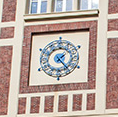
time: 1:23
